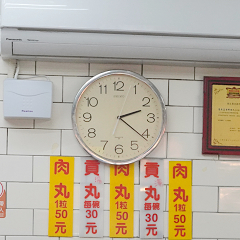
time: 2:21
